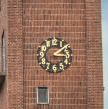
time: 3:08
